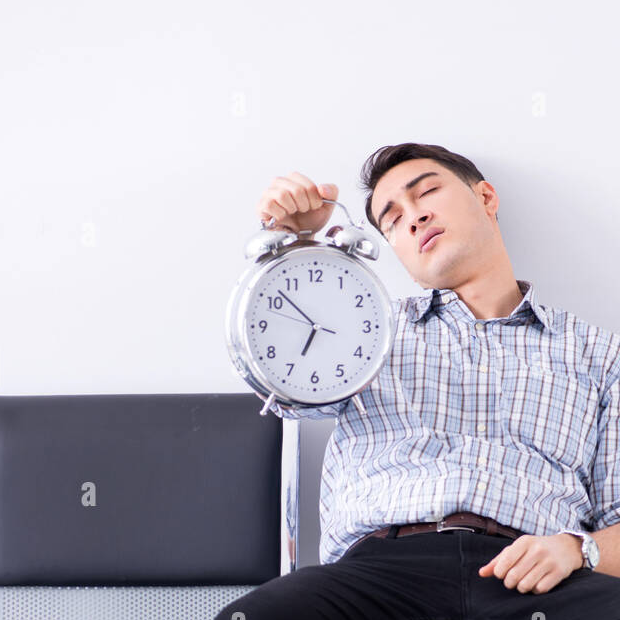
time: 6:52
